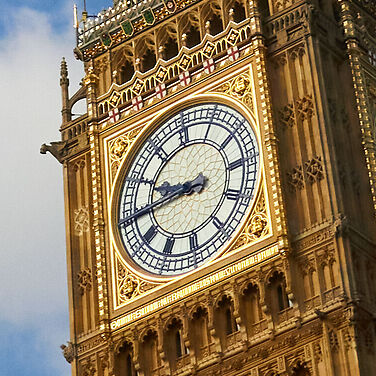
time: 9:44
